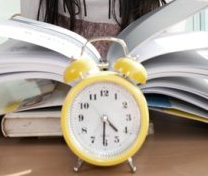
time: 4:30
